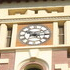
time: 10:14
